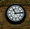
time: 11:13
